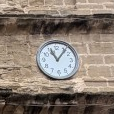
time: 11:06
